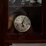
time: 5:03
